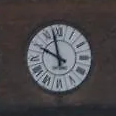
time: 9:57
